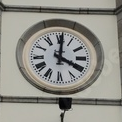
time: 4:01
